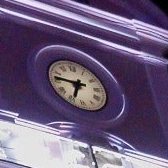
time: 6:46
